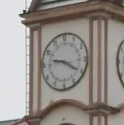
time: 9:20
